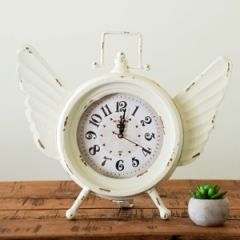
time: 12:01
